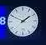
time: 1:49
